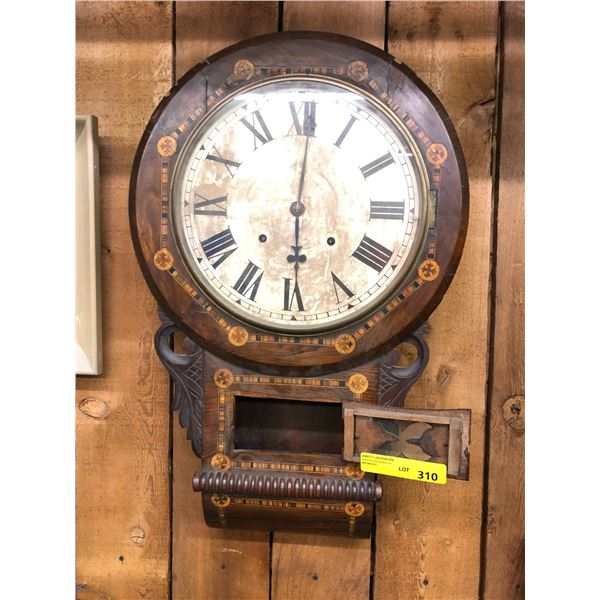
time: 6:01
